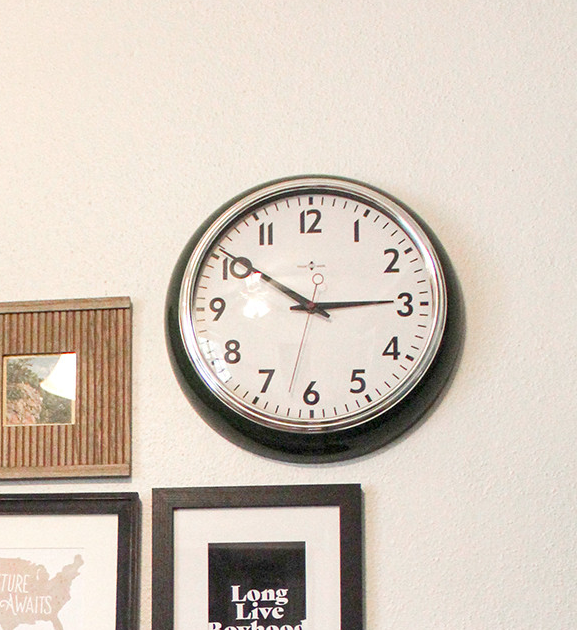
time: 10:14
